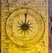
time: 9:01
